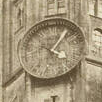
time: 4:04
